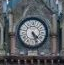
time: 4:26
